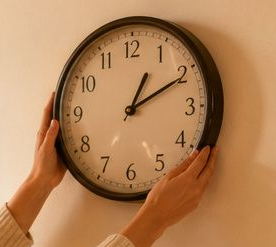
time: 1:10
